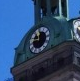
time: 11:46
